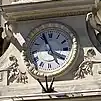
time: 4:56
